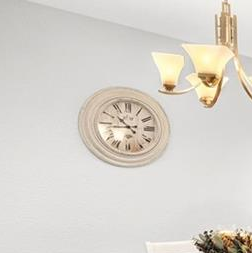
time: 10:45
